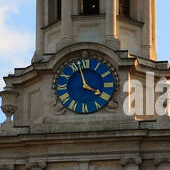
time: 3:57
